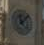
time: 11:07
